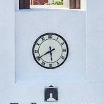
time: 5:40
